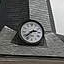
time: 2:38
